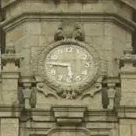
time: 5:45
